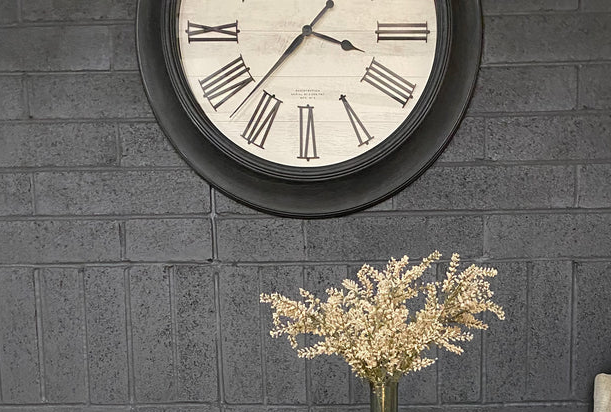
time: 3:37
